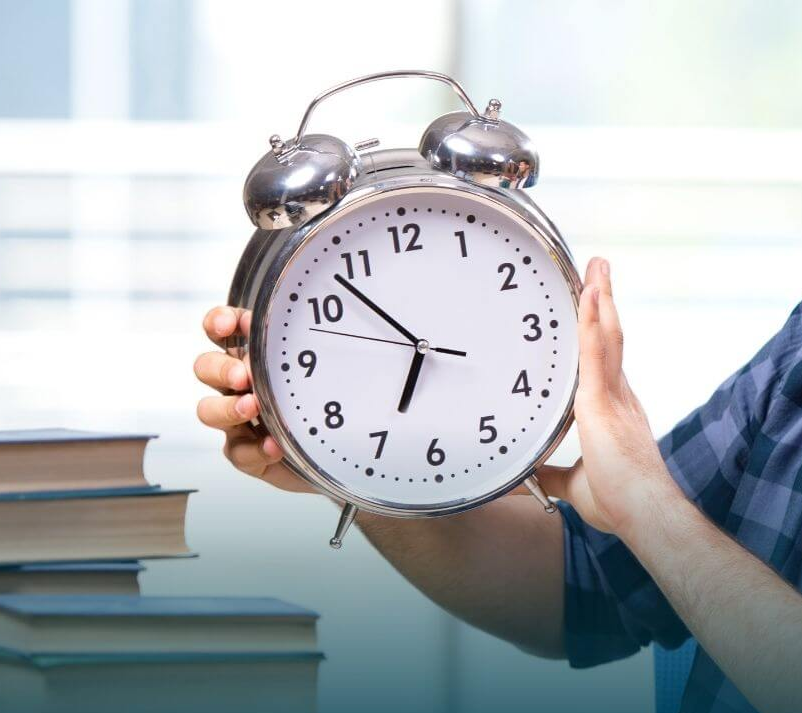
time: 6:53
